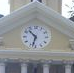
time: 10:32
